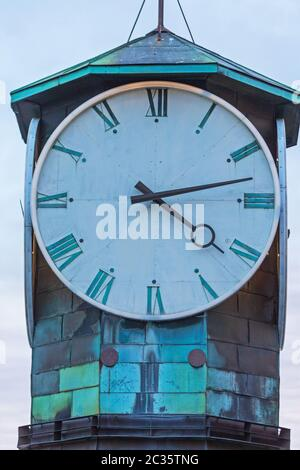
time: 4:12
